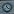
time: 11:22
